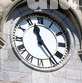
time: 11:23
